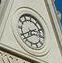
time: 2:40
